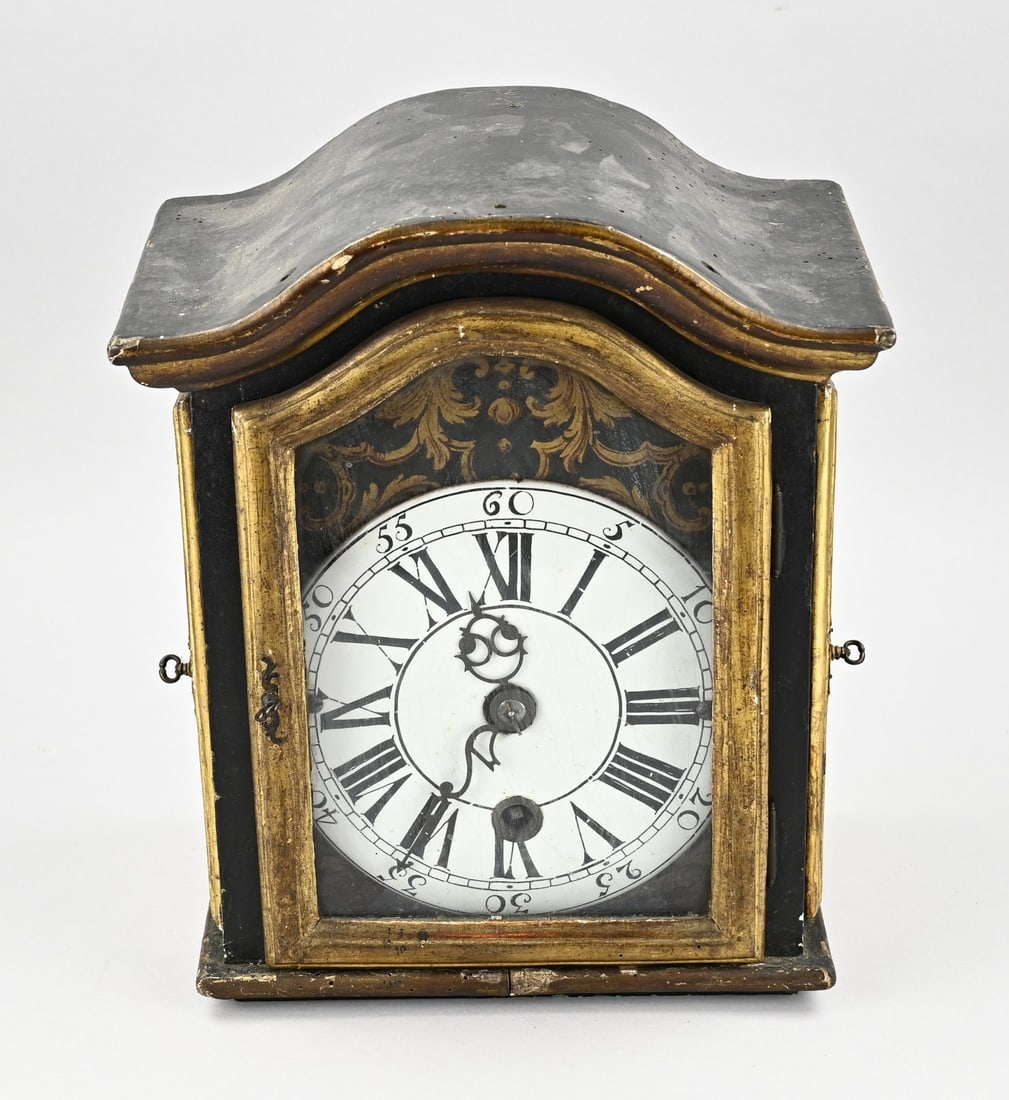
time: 11:35
